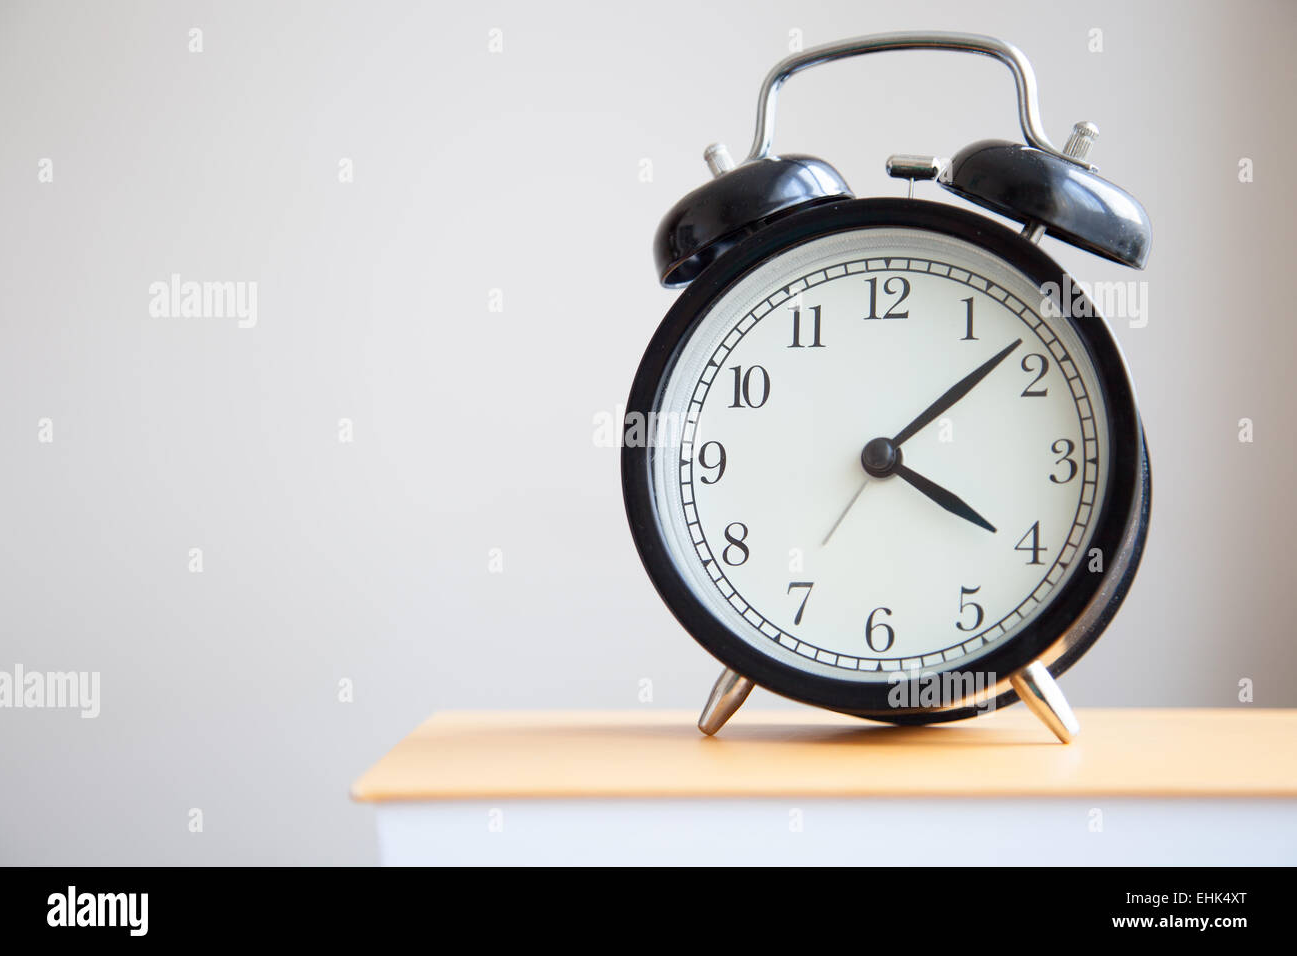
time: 4:08
